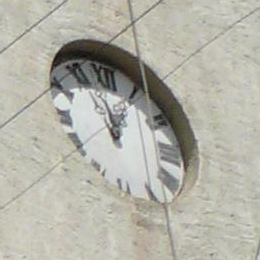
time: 12:57
